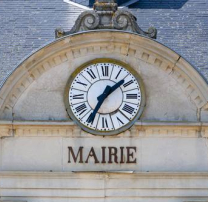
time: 1:34
